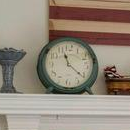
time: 11:21
